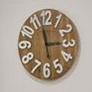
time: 2:57
